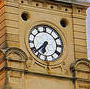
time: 6:38
